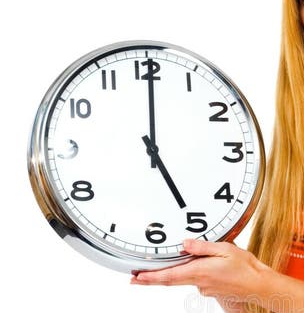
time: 5:00
